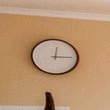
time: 12:14
